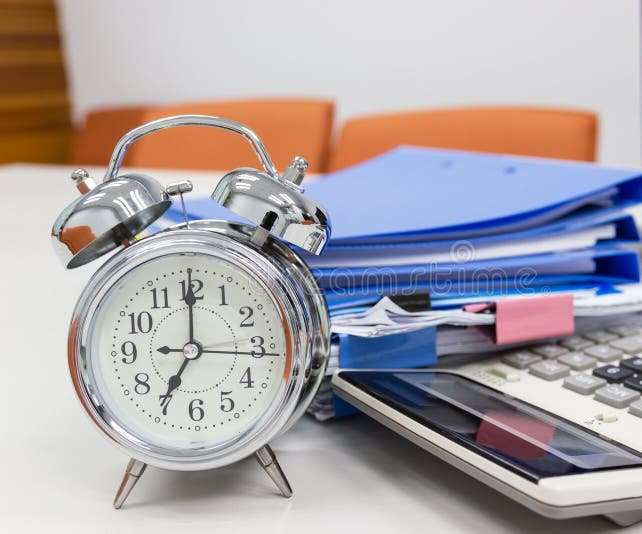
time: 7:00
